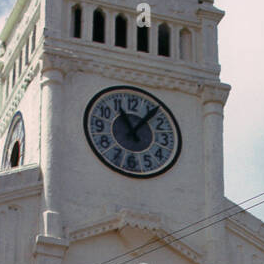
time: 11:06
